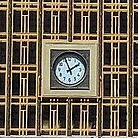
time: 1:56
